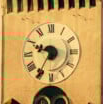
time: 9:35
